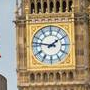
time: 1:46
